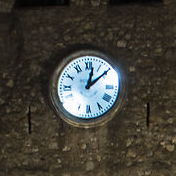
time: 12:08
